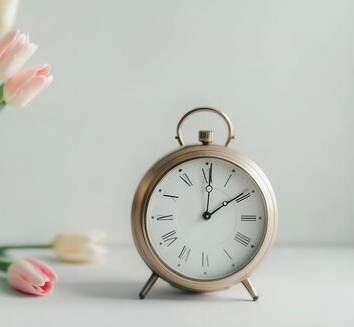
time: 12:09
